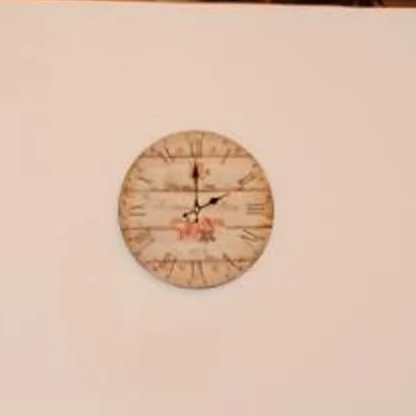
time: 2:00
